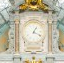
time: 1:18
